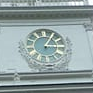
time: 3:04
